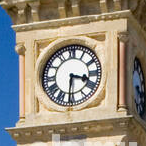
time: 3:31
